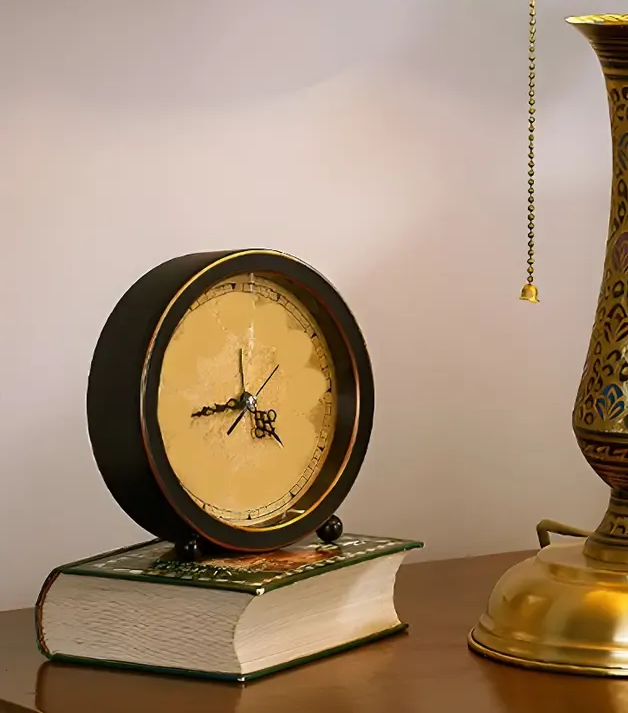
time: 4:42
